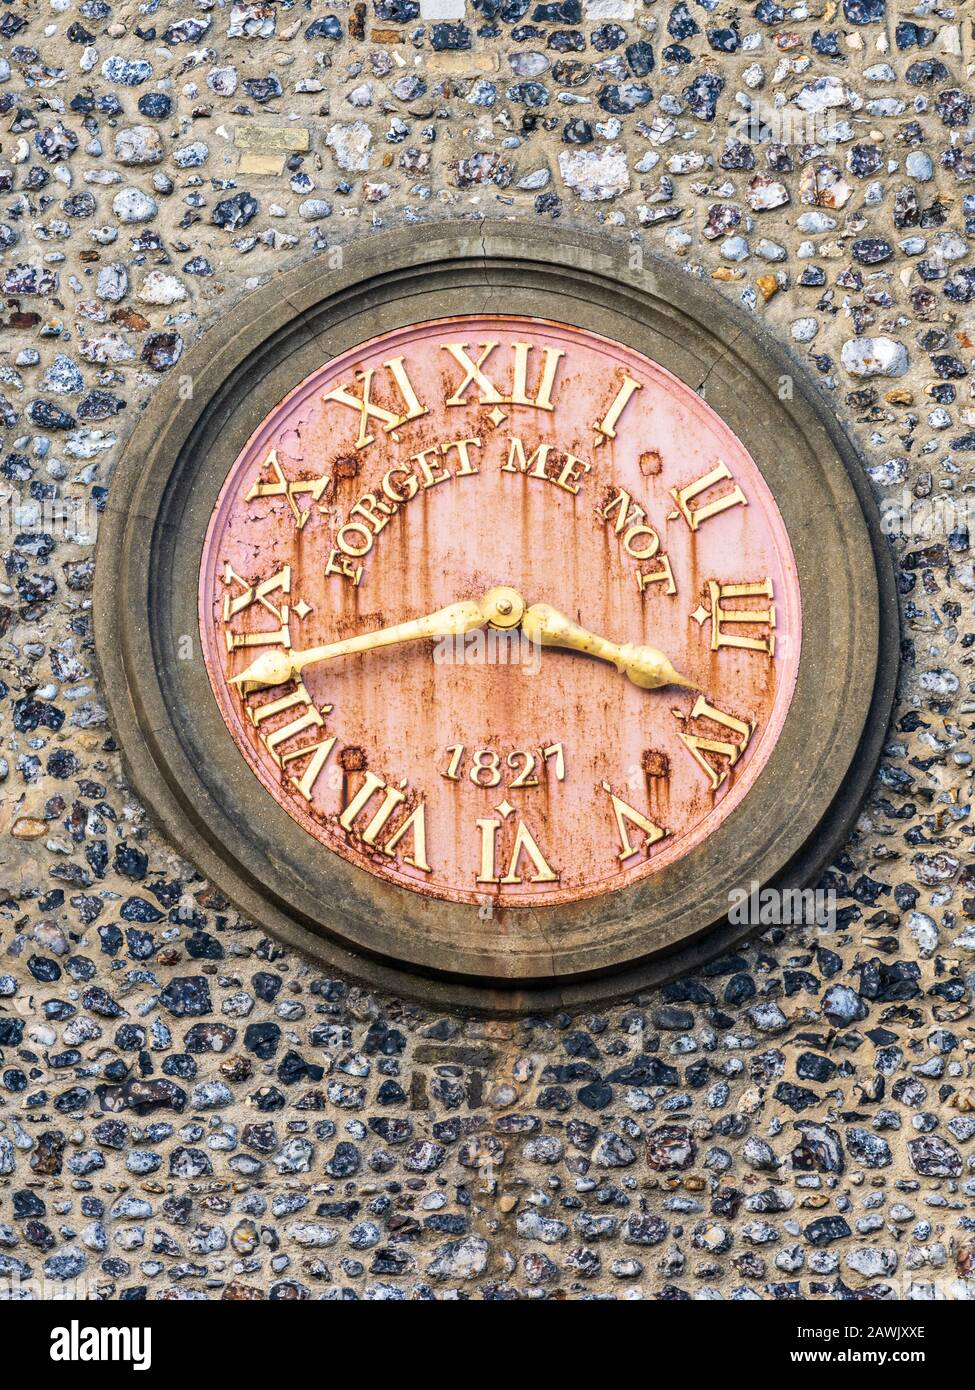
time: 3:42
